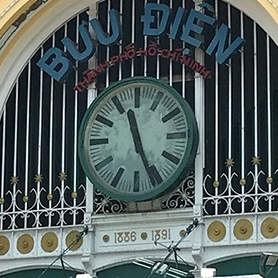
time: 11:26
